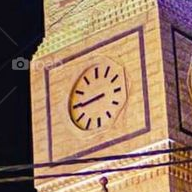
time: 8:44
